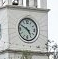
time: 4:49
